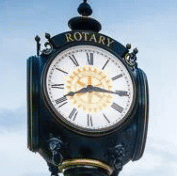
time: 8:15
